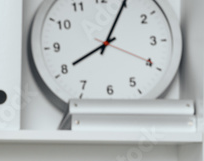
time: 8:04
